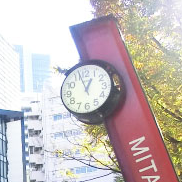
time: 12:57
